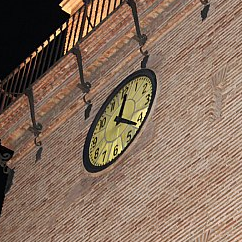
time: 12:21
